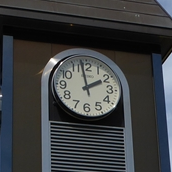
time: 1:58
